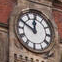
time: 11:49
